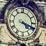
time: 4:18
